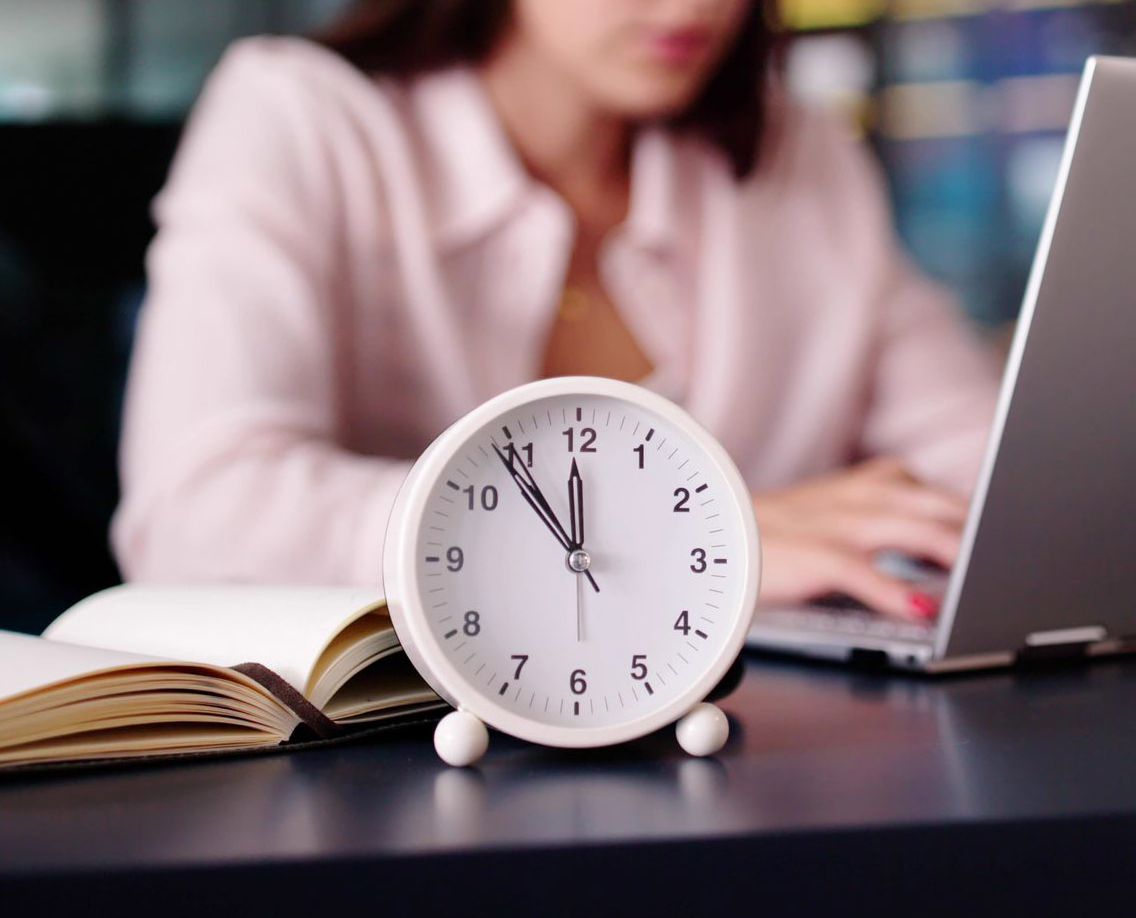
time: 11:53
